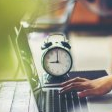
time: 9:01
